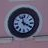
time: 3:58
